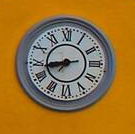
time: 8:43
